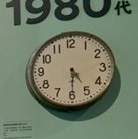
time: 4:29
